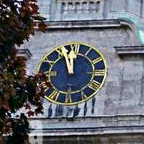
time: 11:56
